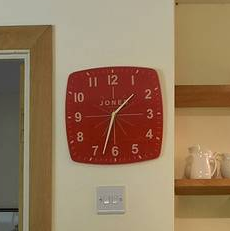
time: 1:33
